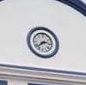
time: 2:38
